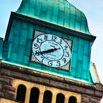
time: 7:40
